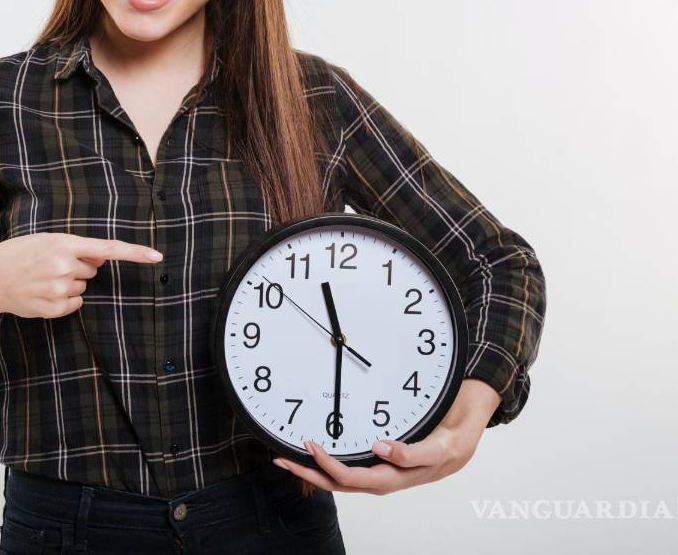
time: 11:29
